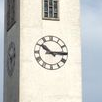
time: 10:14
